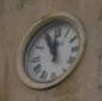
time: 11:55
